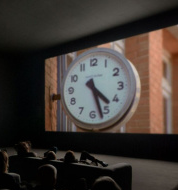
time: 4:27
